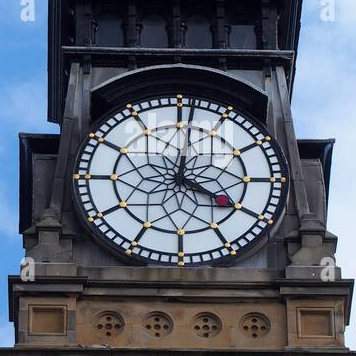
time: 4:01
